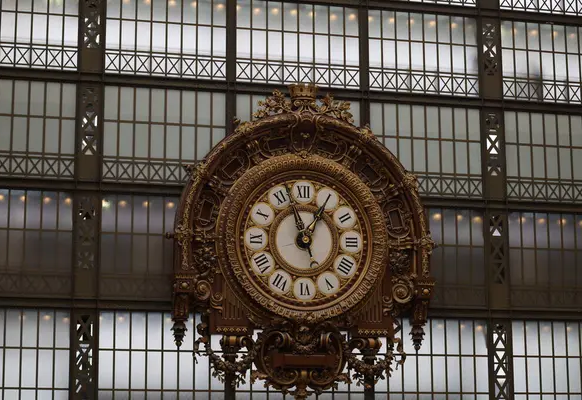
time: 12:57
